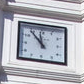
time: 11:53
